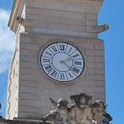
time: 2:21
